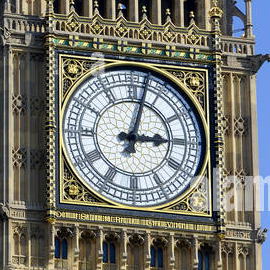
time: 3:02
